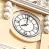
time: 7:59
